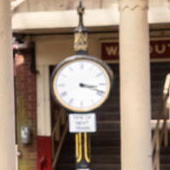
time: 3:18
